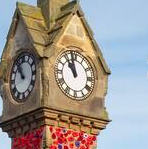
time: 10:58
